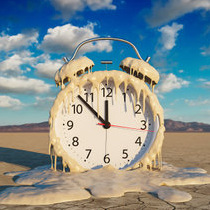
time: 11:53
